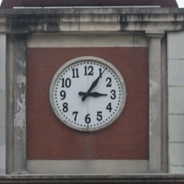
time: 3:05
